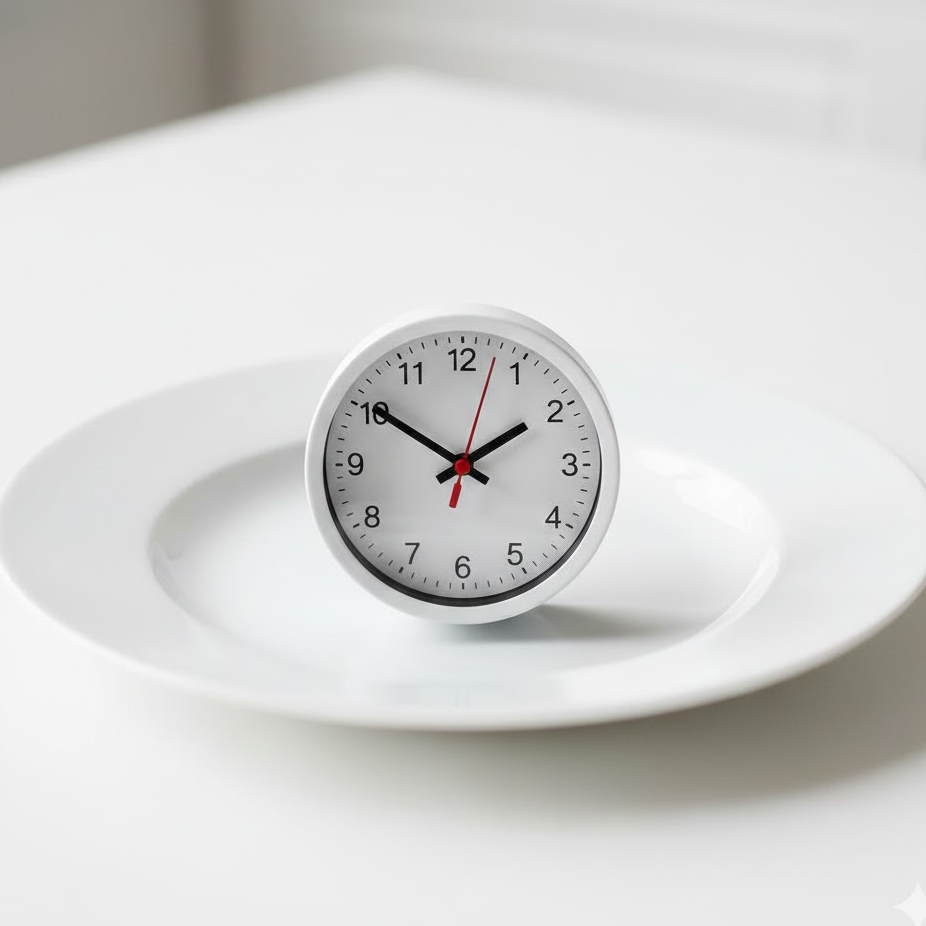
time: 1:50
